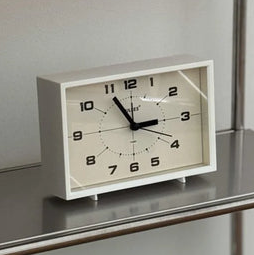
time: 2:55
